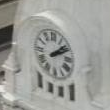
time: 2:08
